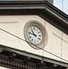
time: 10:47
